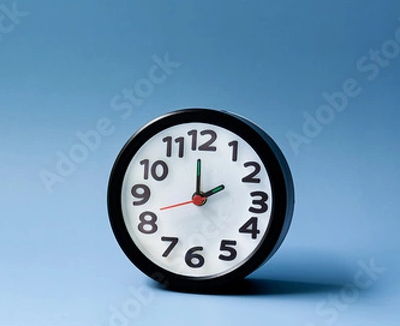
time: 1:59
